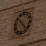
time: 10:22
